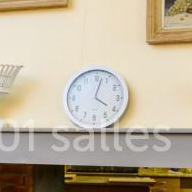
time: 4:02
